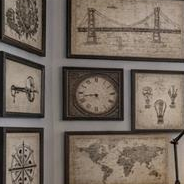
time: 8:43
